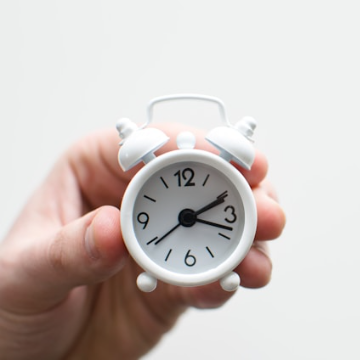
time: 2:18
